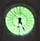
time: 6:25
